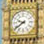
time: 9:39
